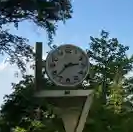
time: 2:37
